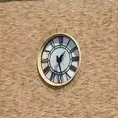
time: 1:28
